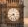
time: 8:24
